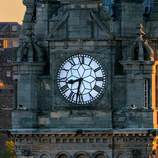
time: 8:32
